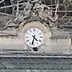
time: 4:32
